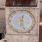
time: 12:27
